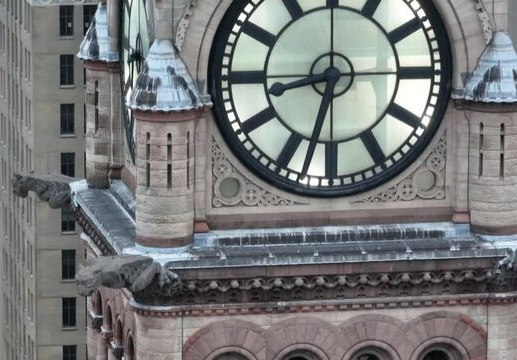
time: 8:32
